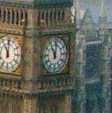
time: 11:02
